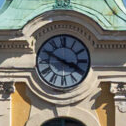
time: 3:49
